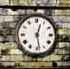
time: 12:28
